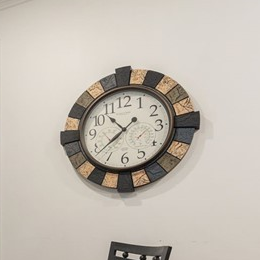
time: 10:38
